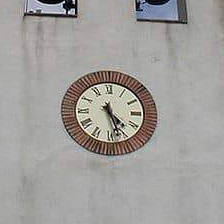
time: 4:27
